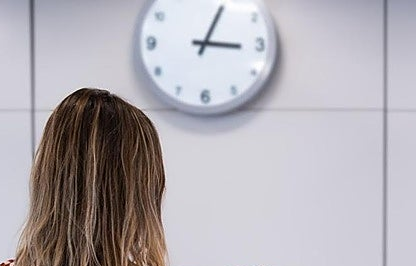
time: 3:04
